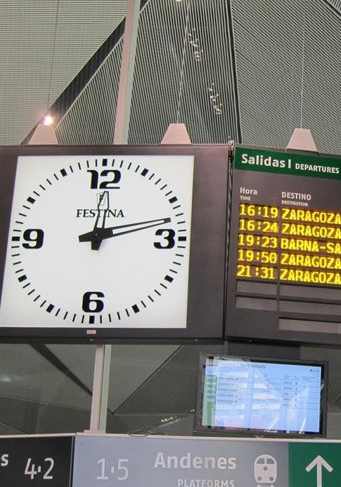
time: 12:12
